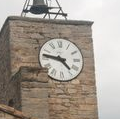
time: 4:46
